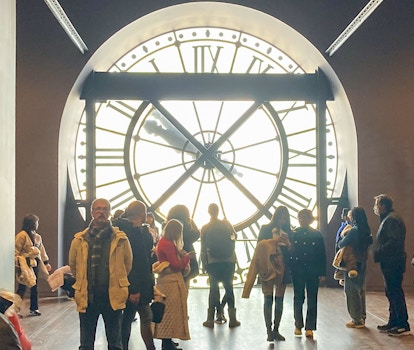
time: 10:07
